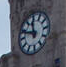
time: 11:48
